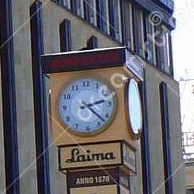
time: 2:22
